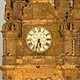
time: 5:32
